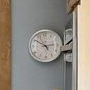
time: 2:50
